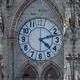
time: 4:12
